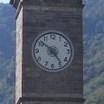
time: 4:51
